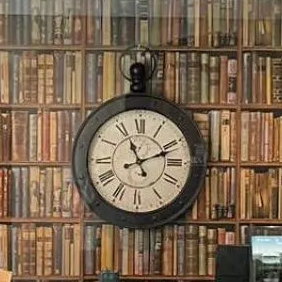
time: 11:11
